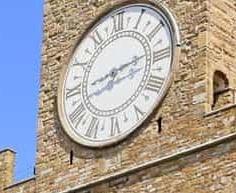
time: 8:13
